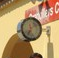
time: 7:07
